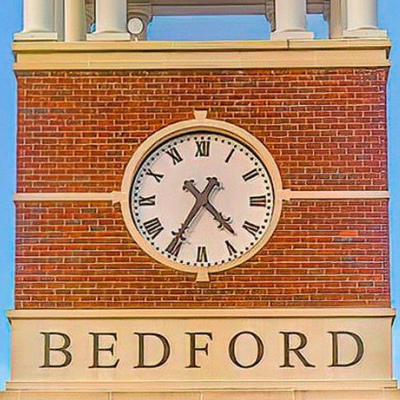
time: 4:35
